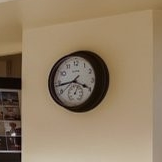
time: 3:43
